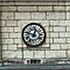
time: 12:47
